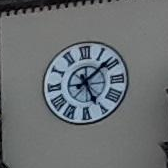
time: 5:08
